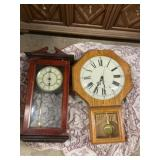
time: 5:35
